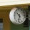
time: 10:32
